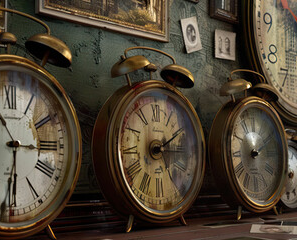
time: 2:10
